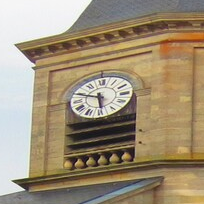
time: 5:48
